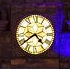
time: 4:39
